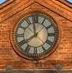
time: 7:58
